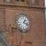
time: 1:18
